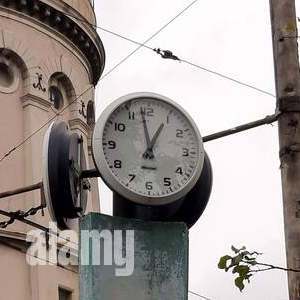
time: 12:58
